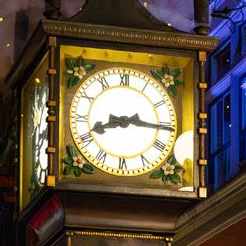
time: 8:16
